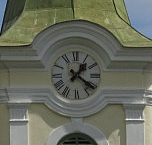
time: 1:21
